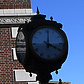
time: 4:01
